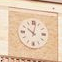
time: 10:02
